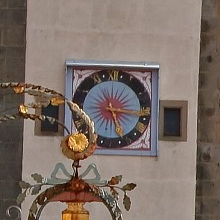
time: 5:15
